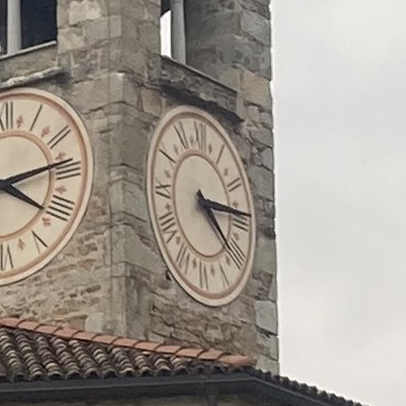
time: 4:14
